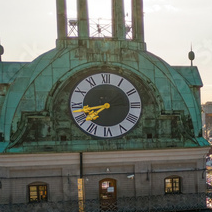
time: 7:42
